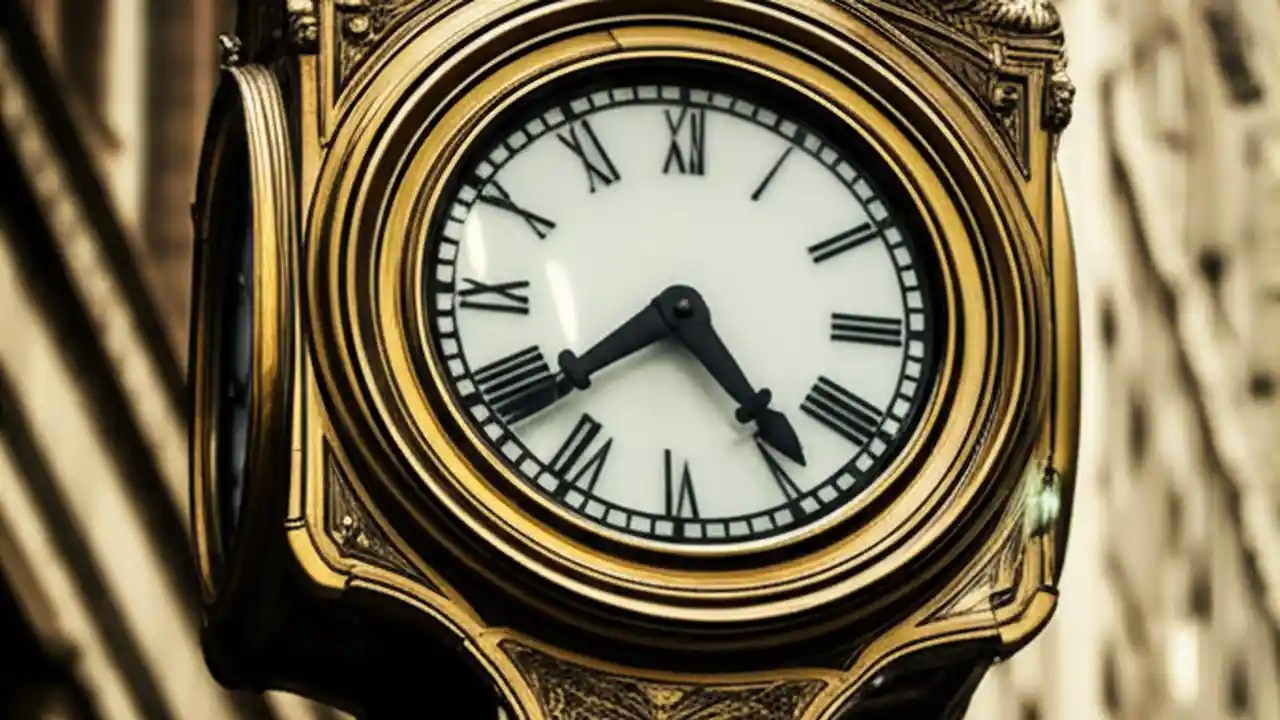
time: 4:38
